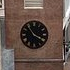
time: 3:54
